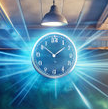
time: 1:51
